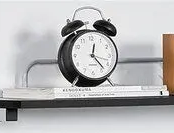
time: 12:23
